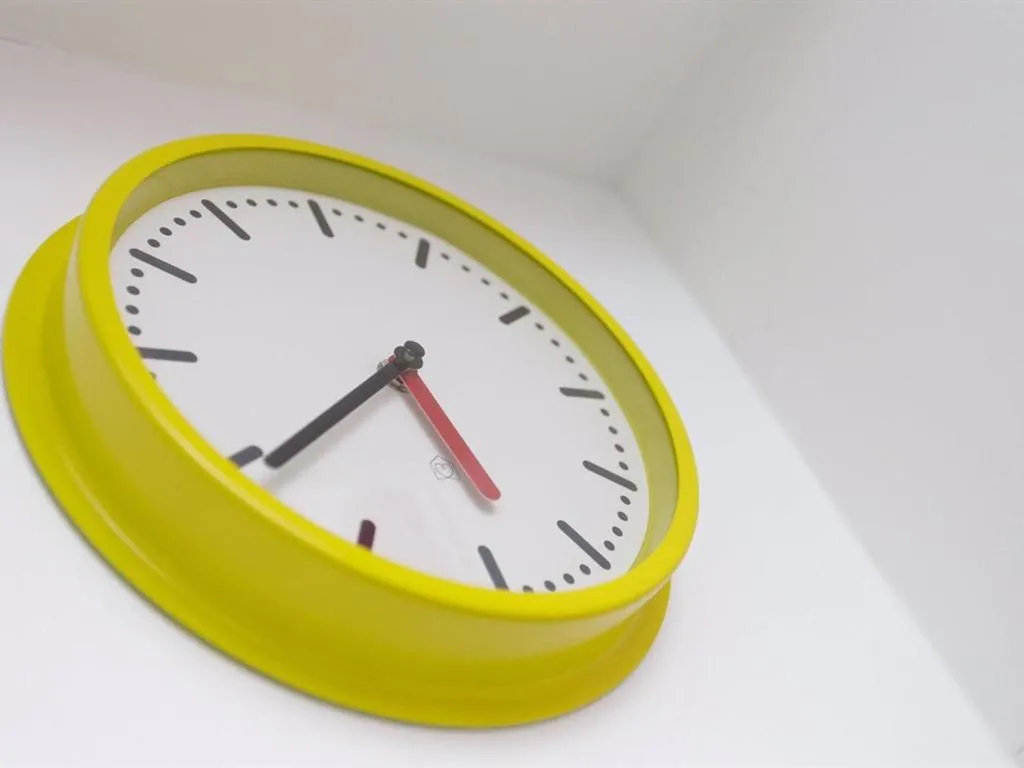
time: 5:39
